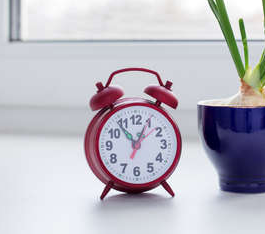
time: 12:53
